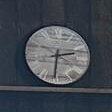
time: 2:30
